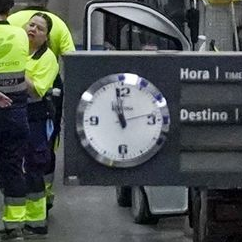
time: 10:58
